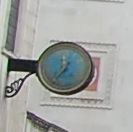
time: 11:35
